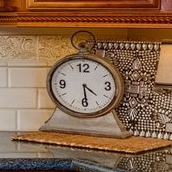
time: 4:29
